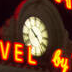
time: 10:22
